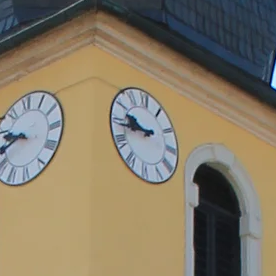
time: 9:43
